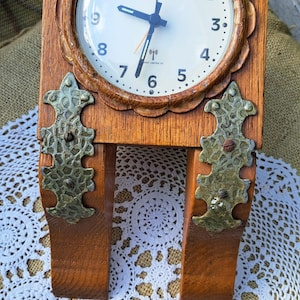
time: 9:32
